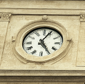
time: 5:04
